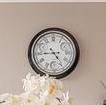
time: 4:44
